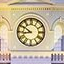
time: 8:50
